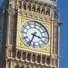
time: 3:33
